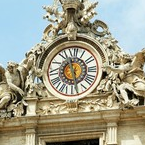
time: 11:28
